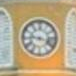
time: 9:17
